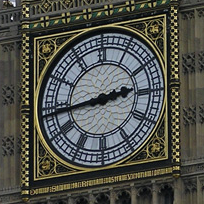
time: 2:43
